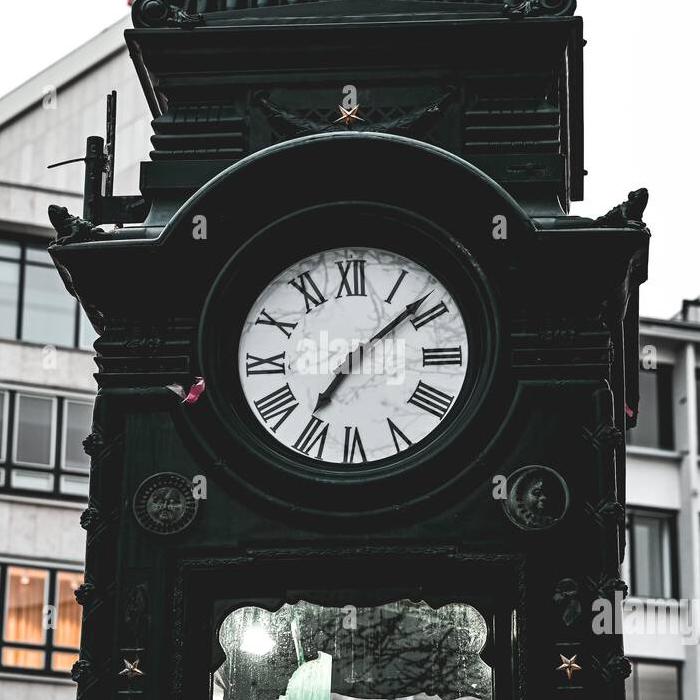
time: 7:08
